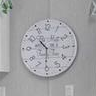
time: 10:30
